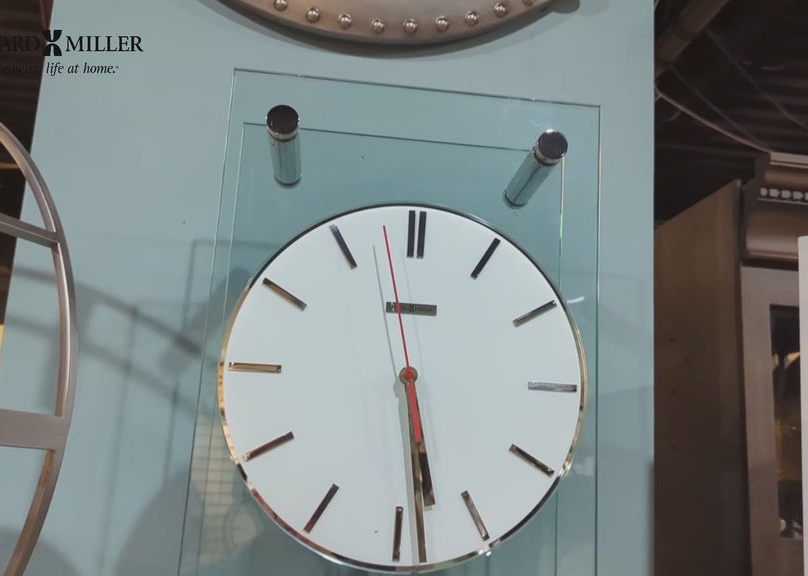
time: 5:28
